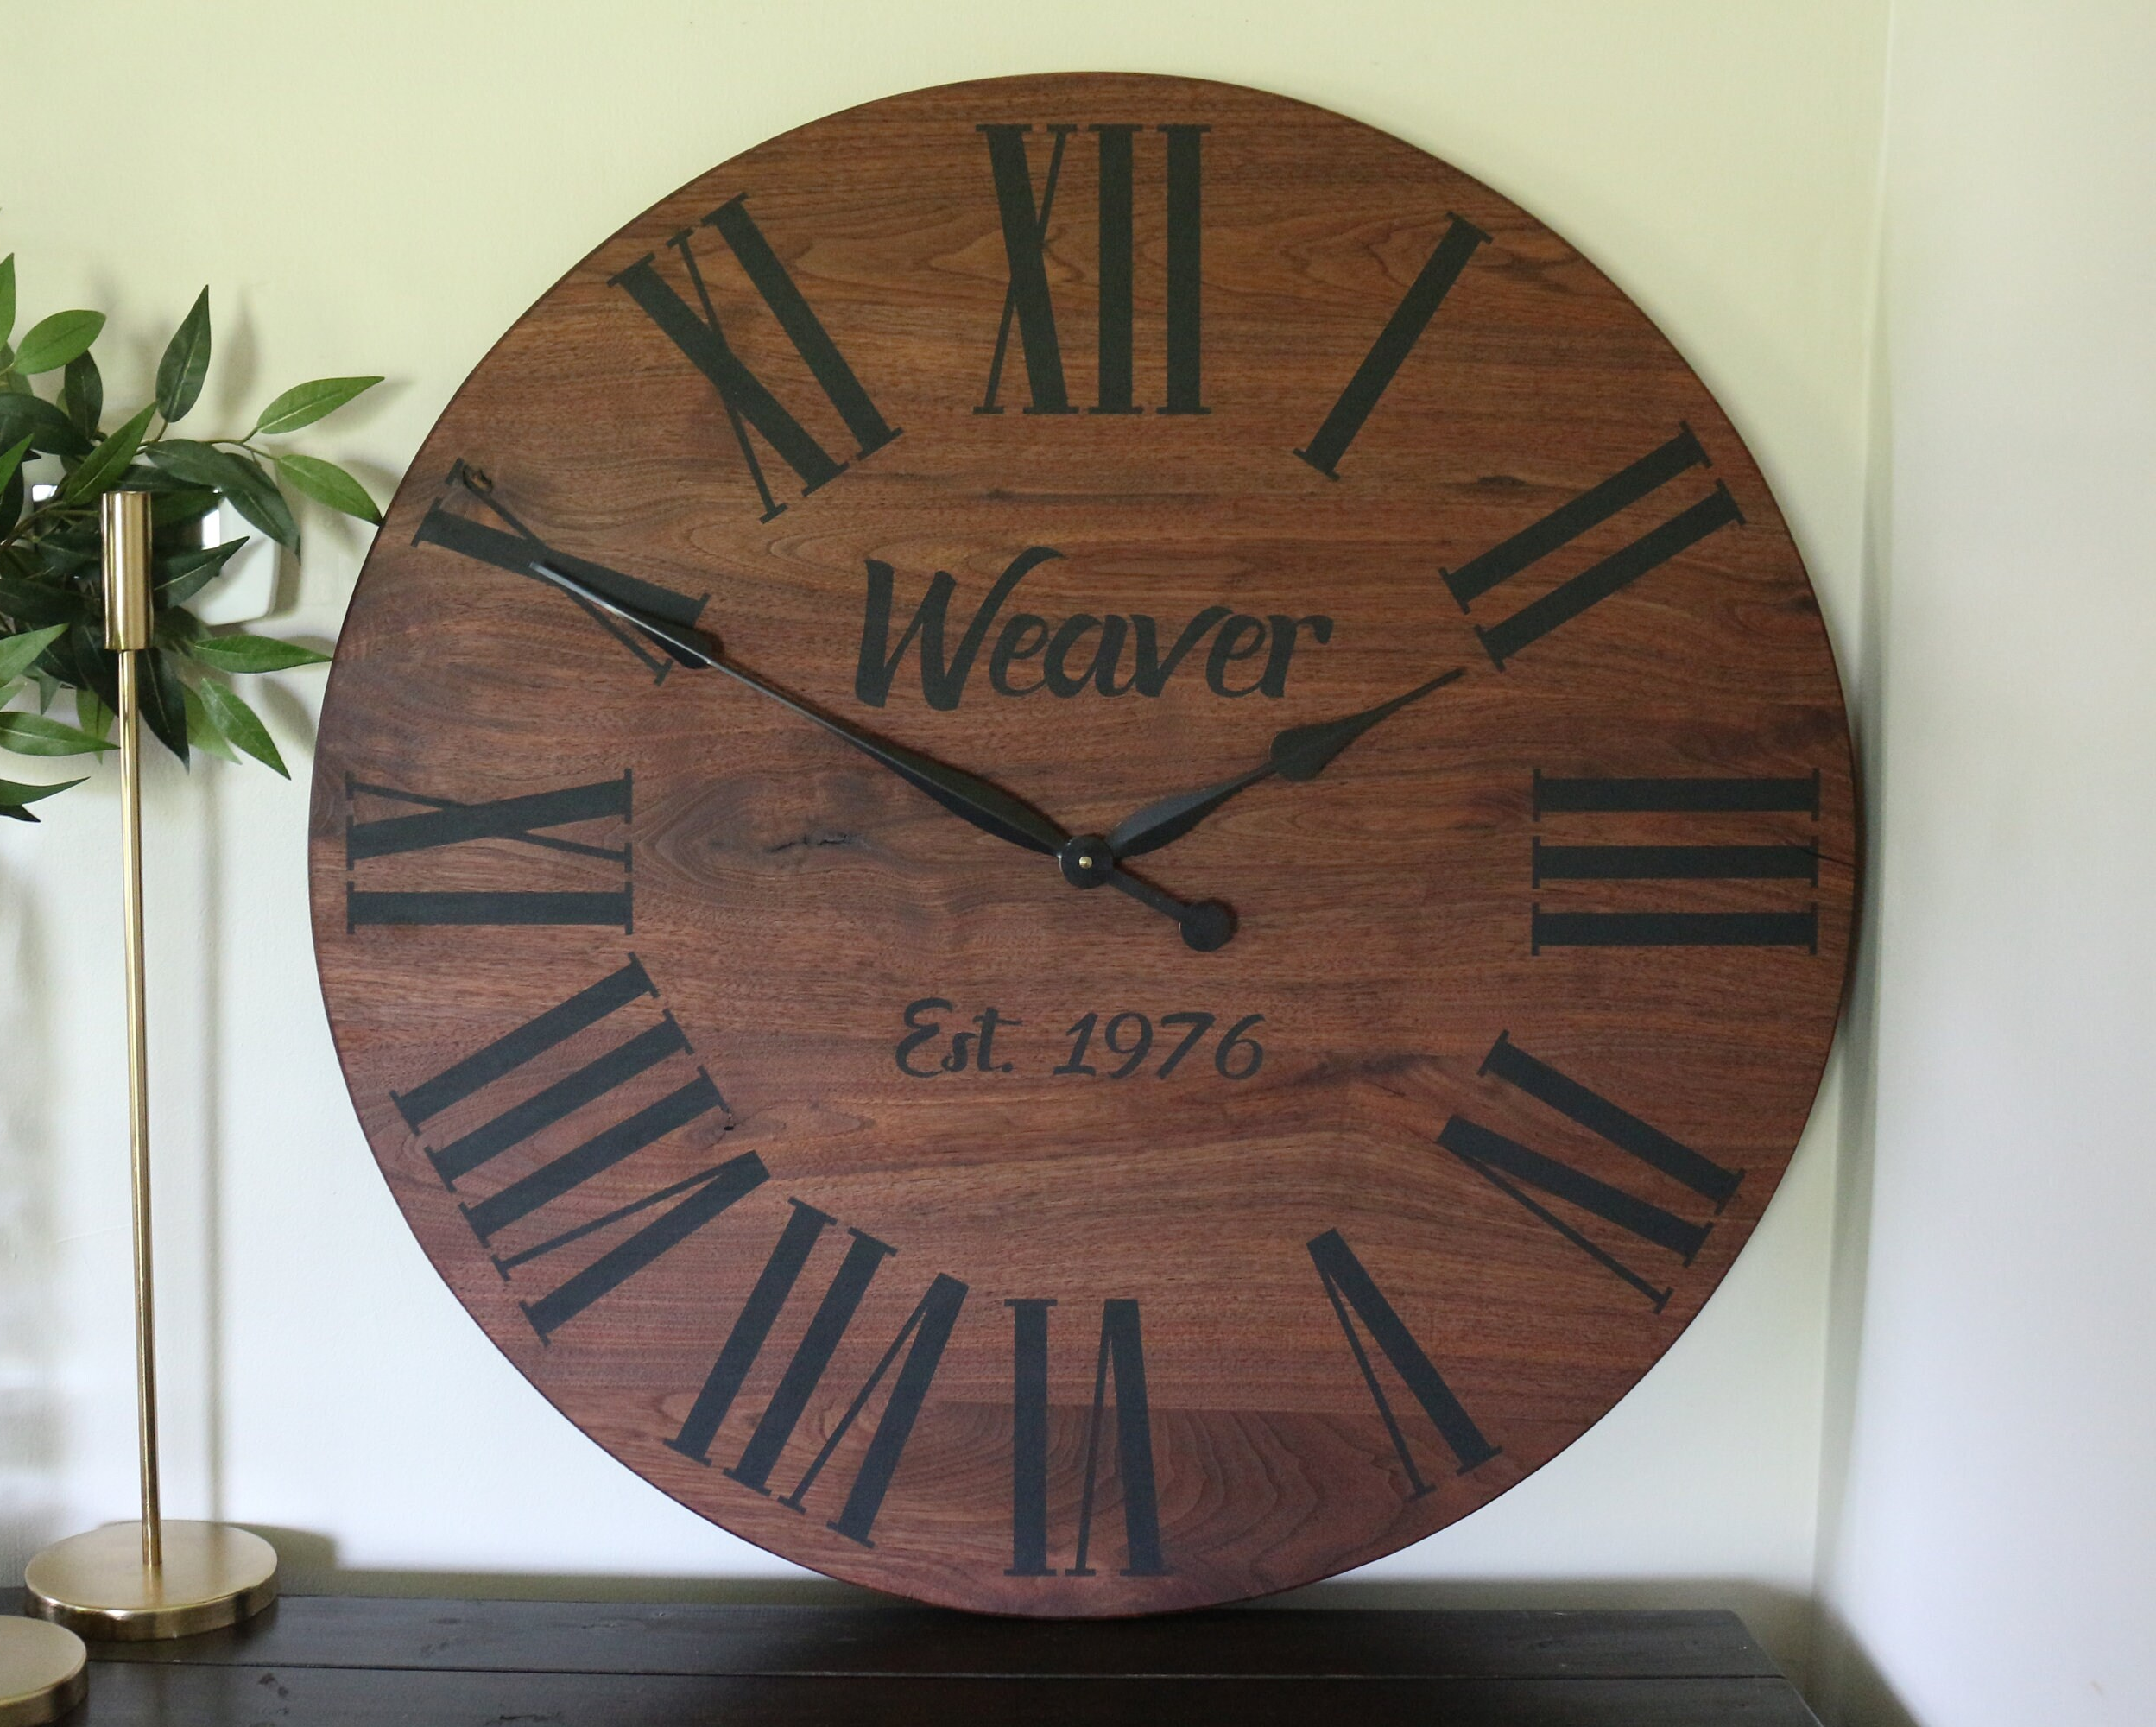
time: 1:50
